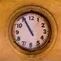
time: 10:55
